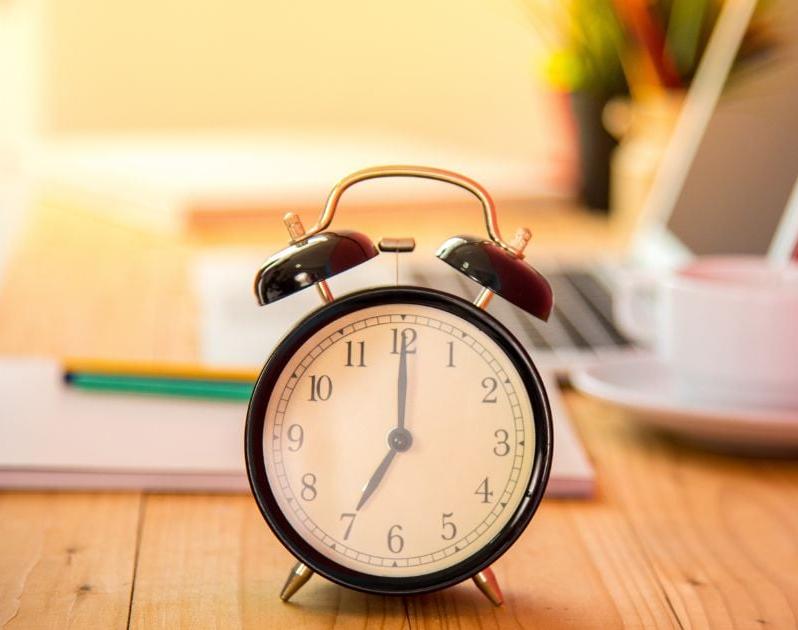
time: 7:00
